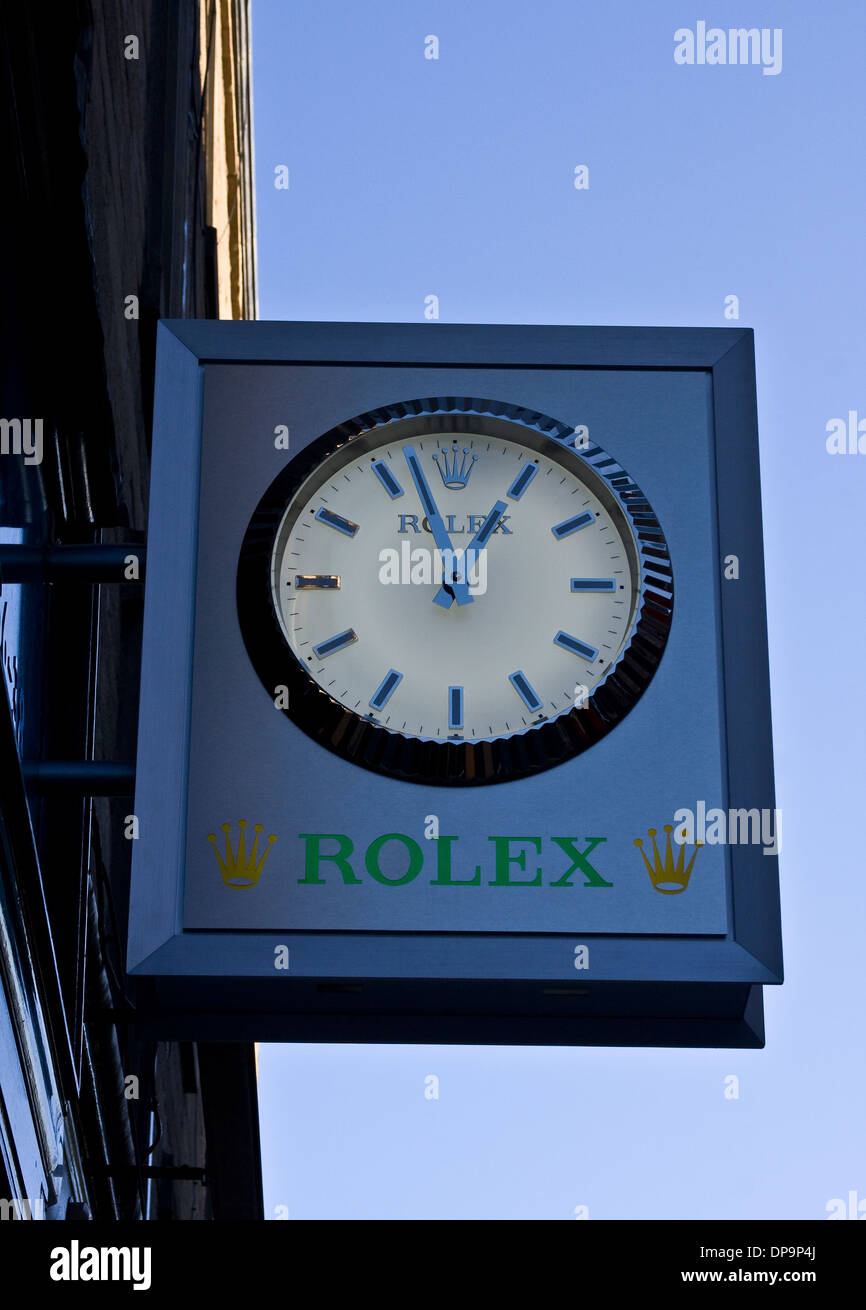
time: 12:57
